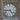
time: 4:44
